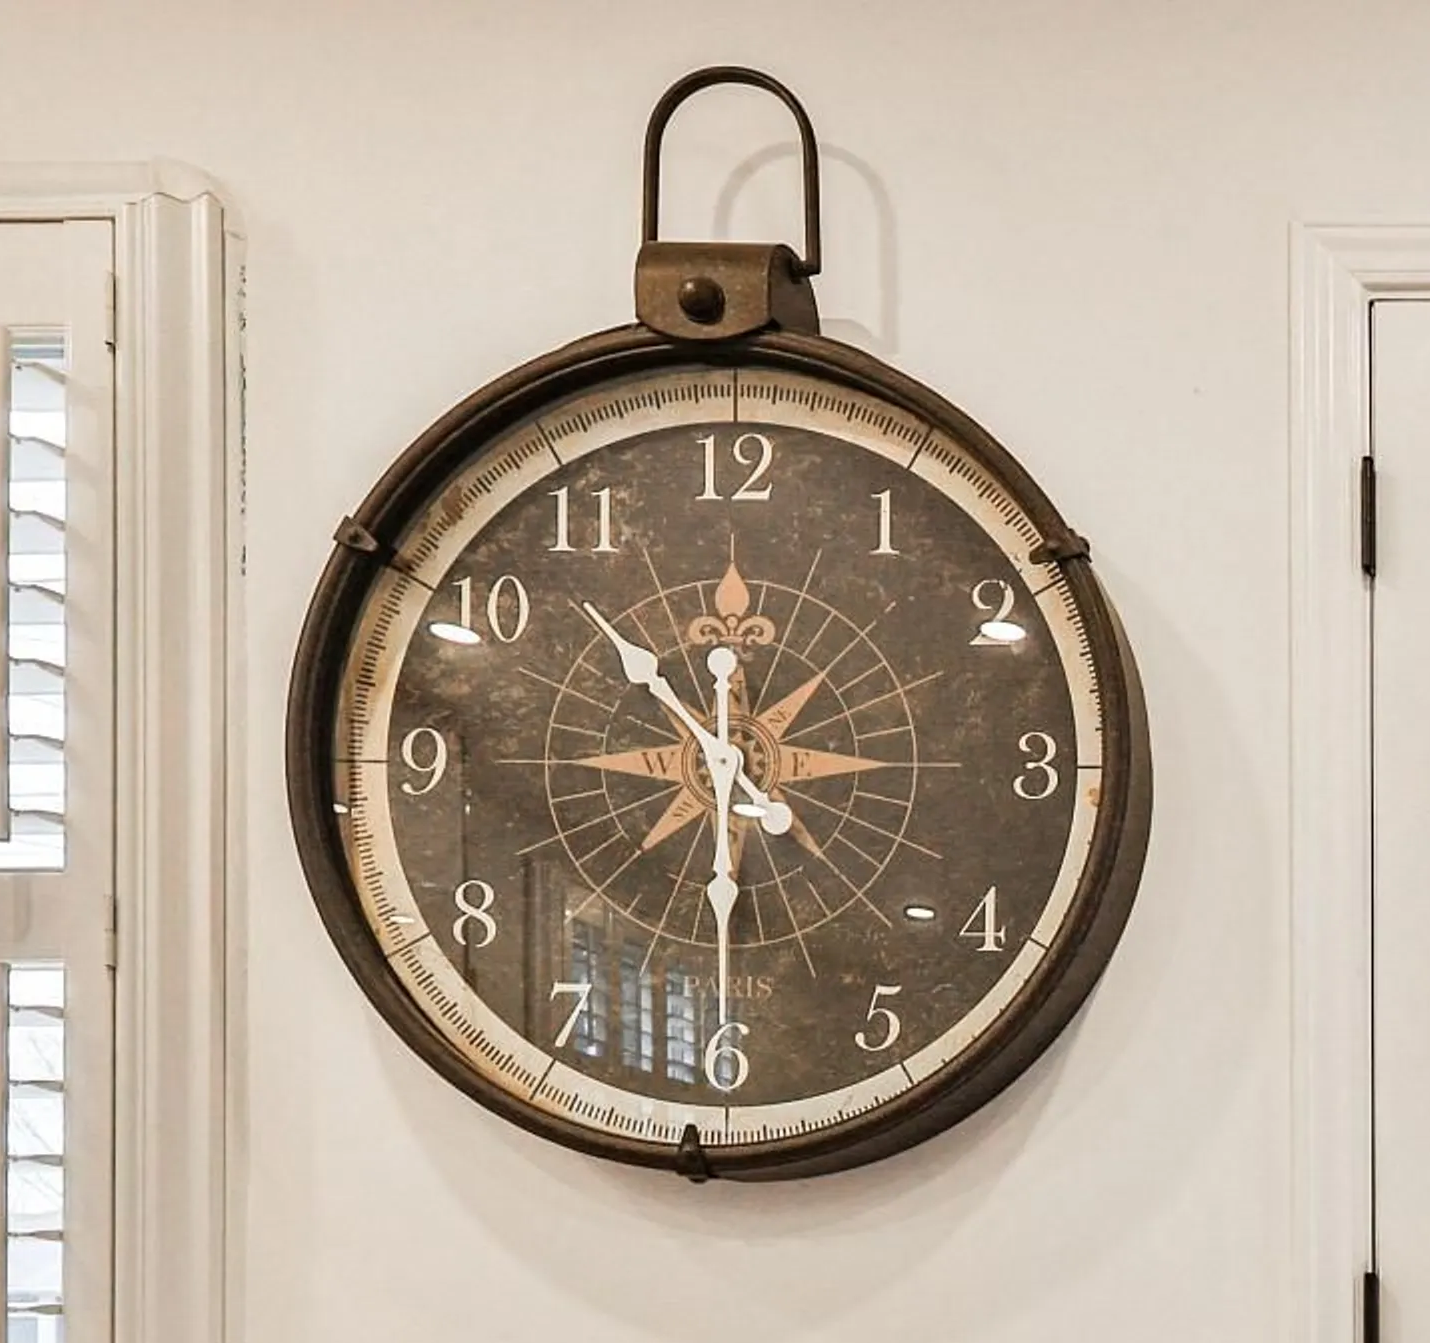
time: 10:30
